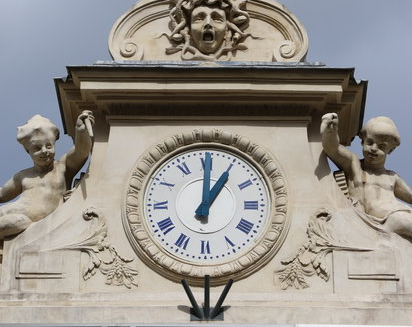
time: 1:00
